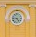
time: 4:45
